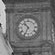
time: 10:34
